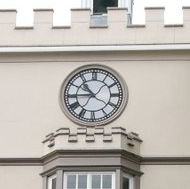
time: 10:44
